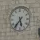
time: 5:36
